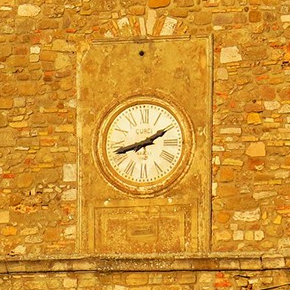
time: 1:42
